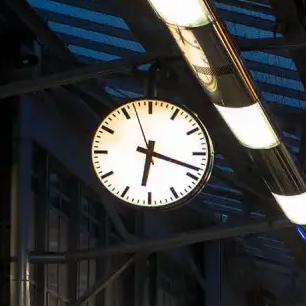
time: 6:18
